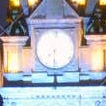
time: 7:29
